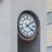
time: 4:08
